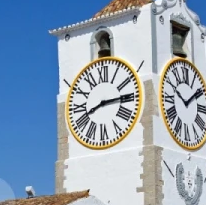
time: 8:14
